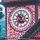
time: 10:36
